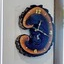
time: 1:18
